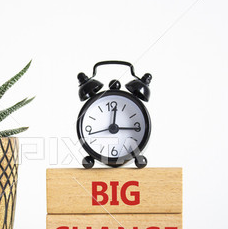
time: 3:01
